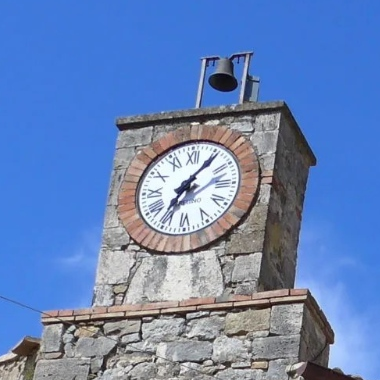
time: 7:06
